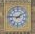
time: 1:46
